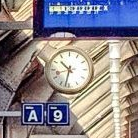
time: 10:32
